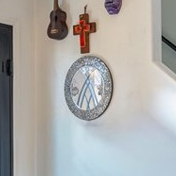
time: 5:34
